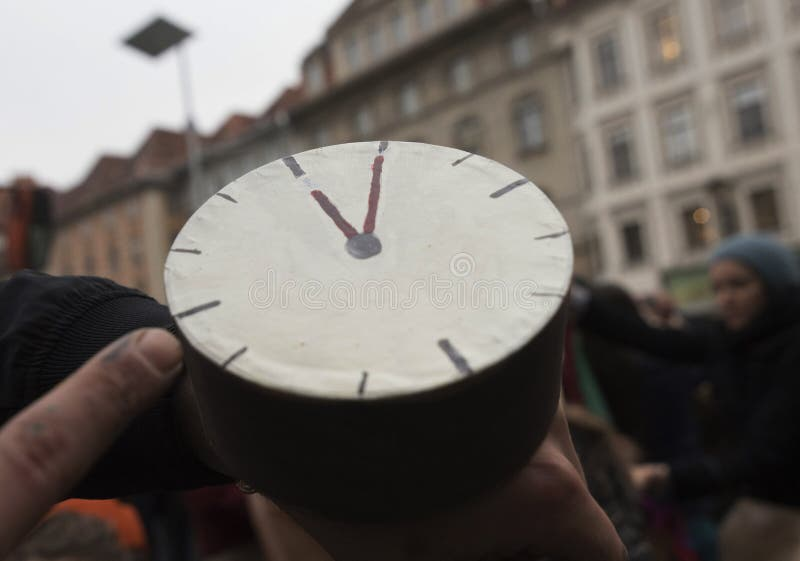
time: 11:00
